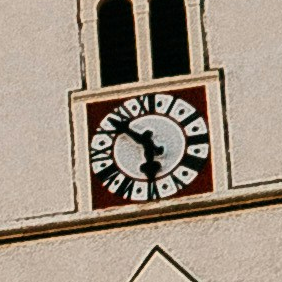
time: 5:51
